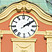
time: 2:09
